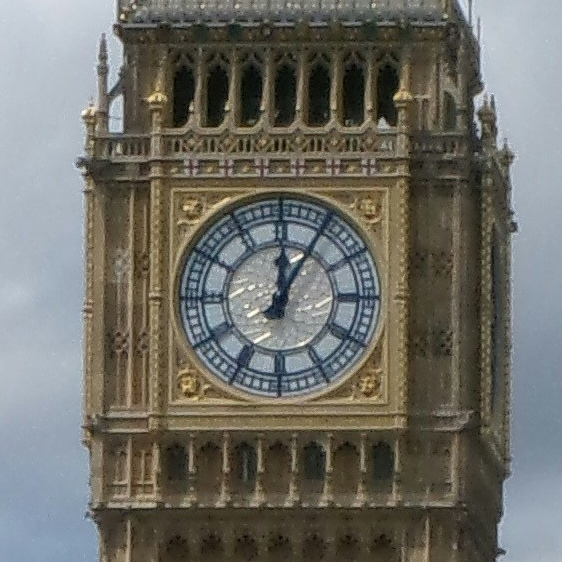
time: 12:05
